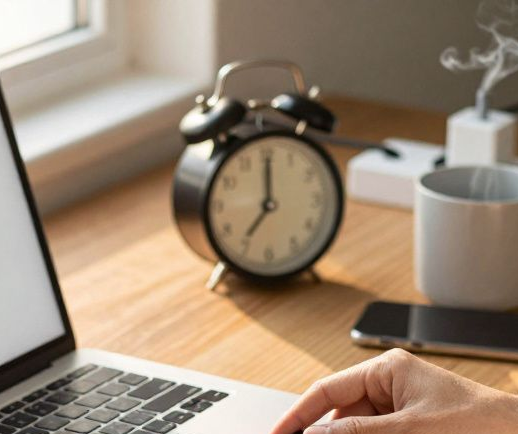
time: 7:00
